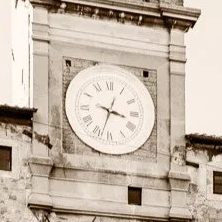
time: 3:33
